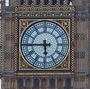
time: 5:45
